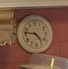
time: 4:46
